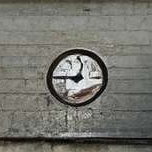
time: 12:45
